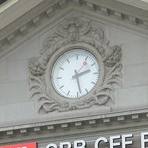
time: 2:28
